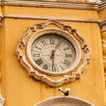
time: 6:04
